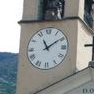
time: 11:09
